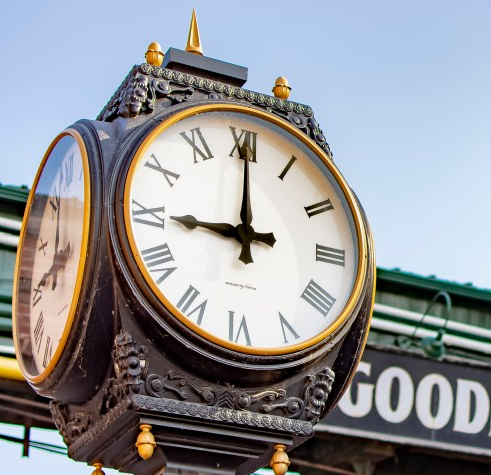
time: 9:00
